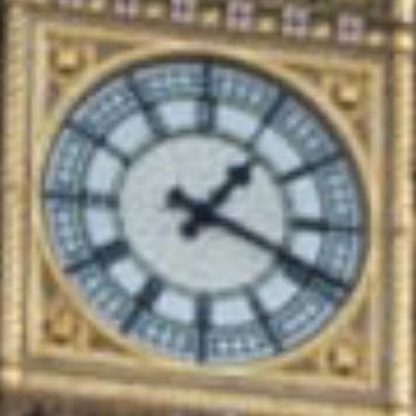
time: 1:18
